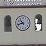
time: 10:42
